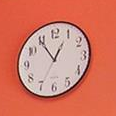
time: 12:54
